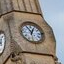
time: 12:55
